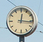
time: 12:16
